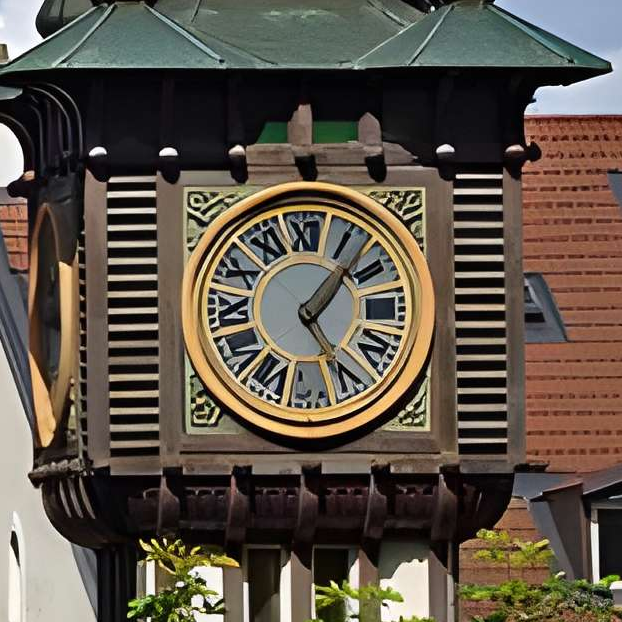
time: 1:24
